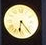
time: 6:23
